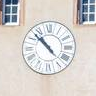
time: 10:52
